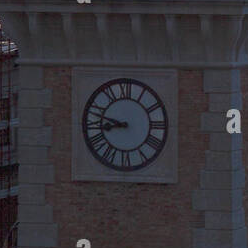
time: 8:47
